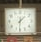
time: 1:31
